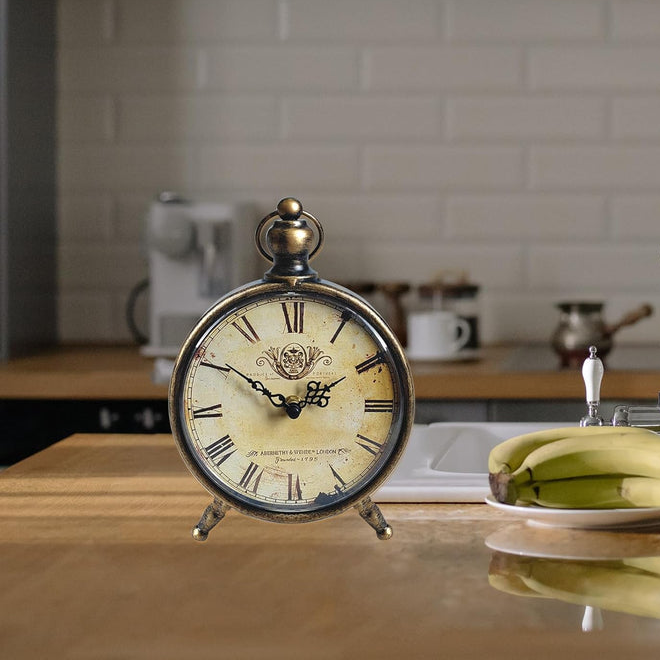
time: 1:50
